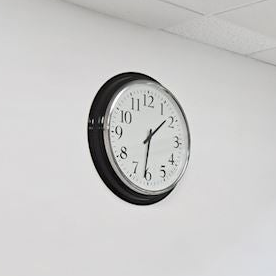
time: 1:31
